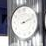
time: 2:11
